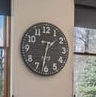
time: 1:32
